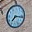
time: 7:15
